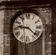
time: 9:22
